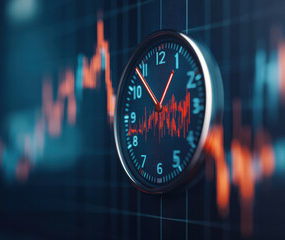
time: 12:53
